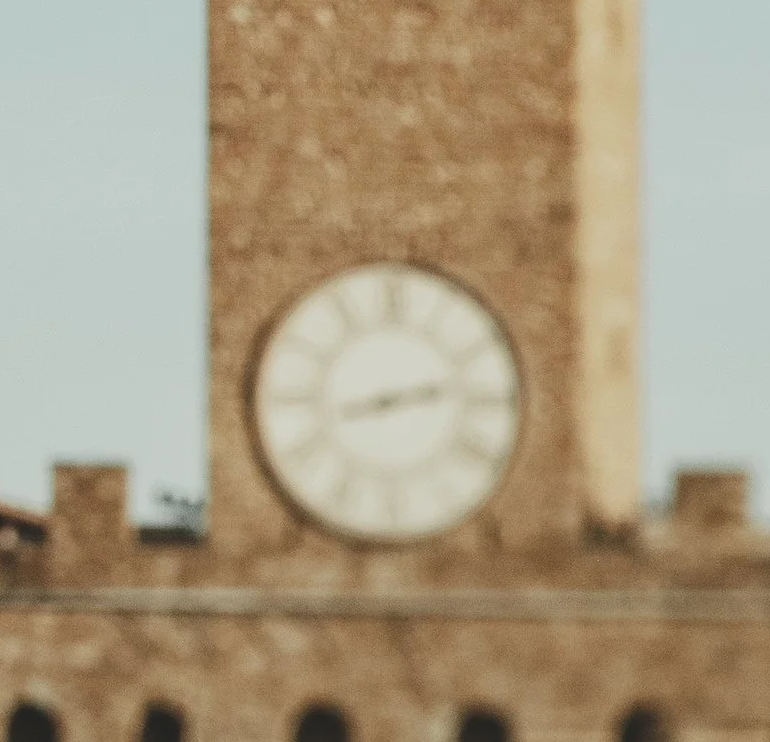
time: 2:42
